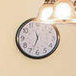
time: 11:33
